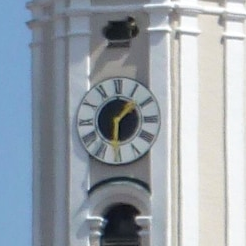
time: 1:30
